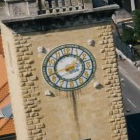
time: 1:42
